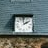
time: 1:59
